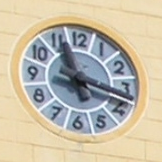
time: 11:17
